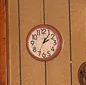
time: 2:06
